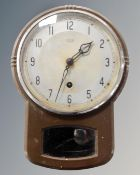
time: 1:33
